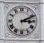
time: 3:11
